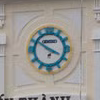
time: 3:50
